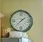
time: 1:36
